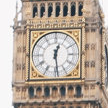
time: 12:28
